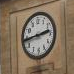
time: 2:43
